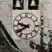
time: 9:39
